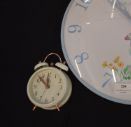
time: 11:52
